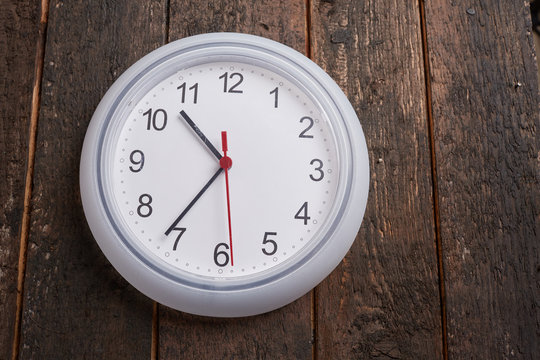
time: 10:36
